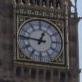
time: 12:46
